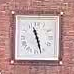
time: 11:27
